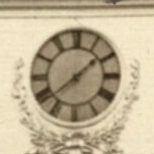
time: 1:38
